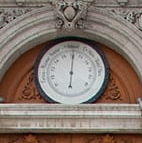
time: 6:00
